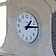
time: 1:13
